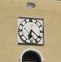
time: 6:21
